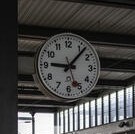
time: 9:07
